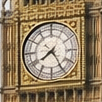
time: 7:24
